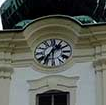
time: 1:35
